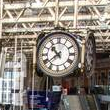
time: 10:38
